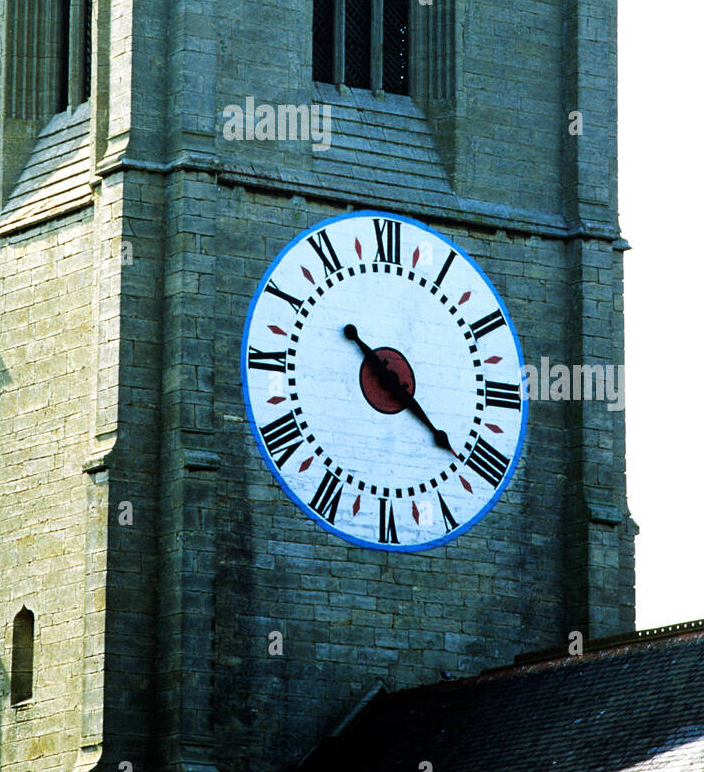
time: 10:21
